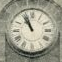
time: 10:56
